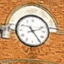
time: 2:24
